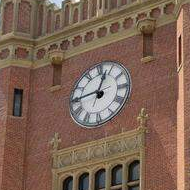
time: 12:44
